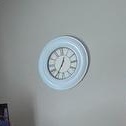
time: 12:34
